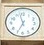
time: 11:34
